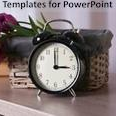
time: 2:59
